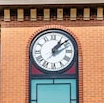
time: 1:08
